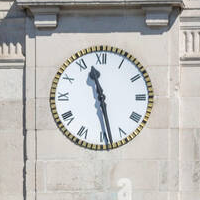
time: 11:28
